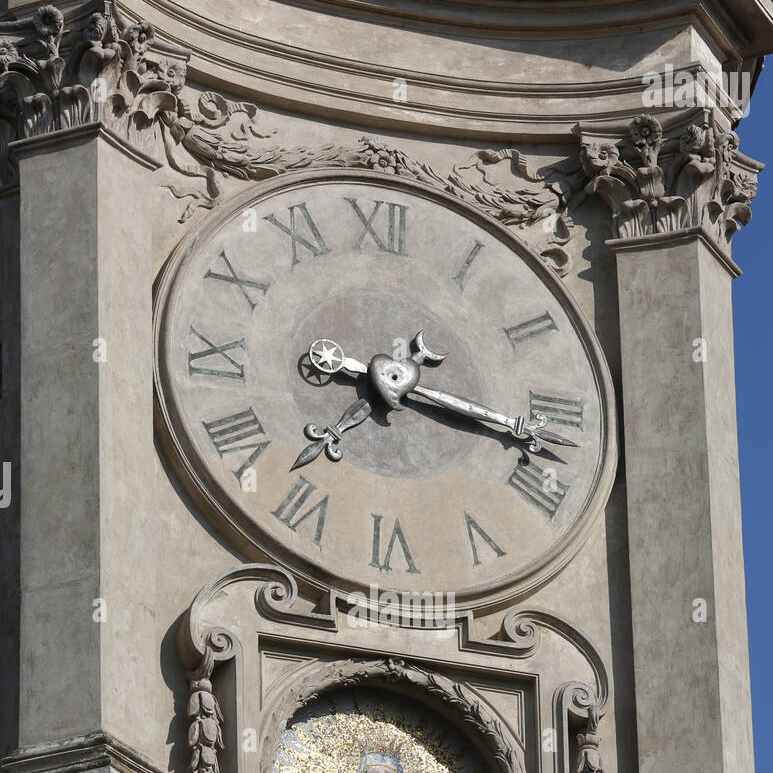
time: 3:17
